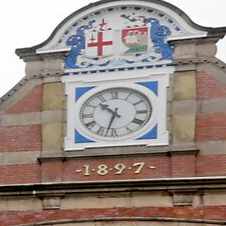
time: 10:32
